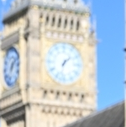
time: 1:32
